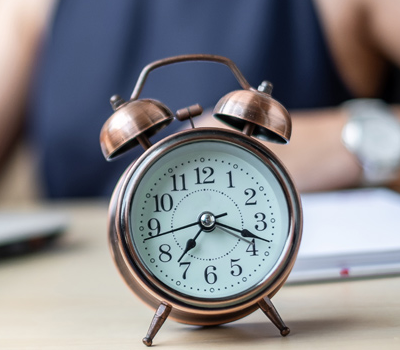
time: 7:18
